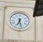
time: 6:27
